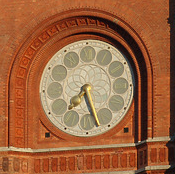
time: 7:26
